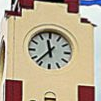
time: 11:36
